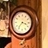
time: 3:36
